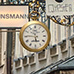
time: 5:45
